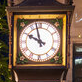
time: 9:57
